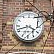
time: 3:42
